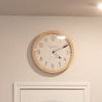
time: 4:10
